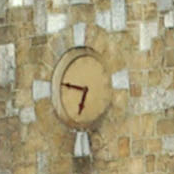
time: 6:47
